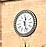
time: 12:27
